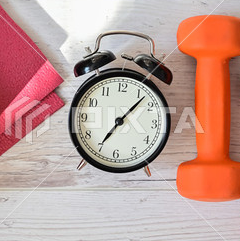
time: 7:07
